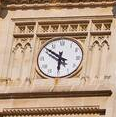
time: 5:51
